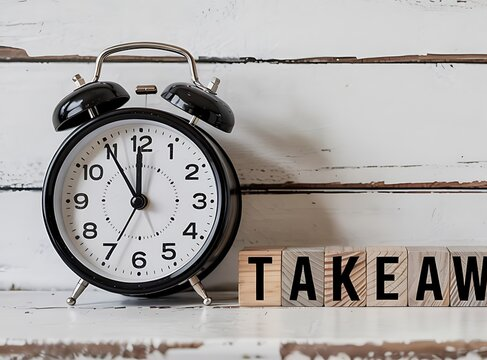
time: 11:54
